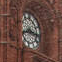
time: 8:16
